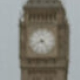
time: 8:23
